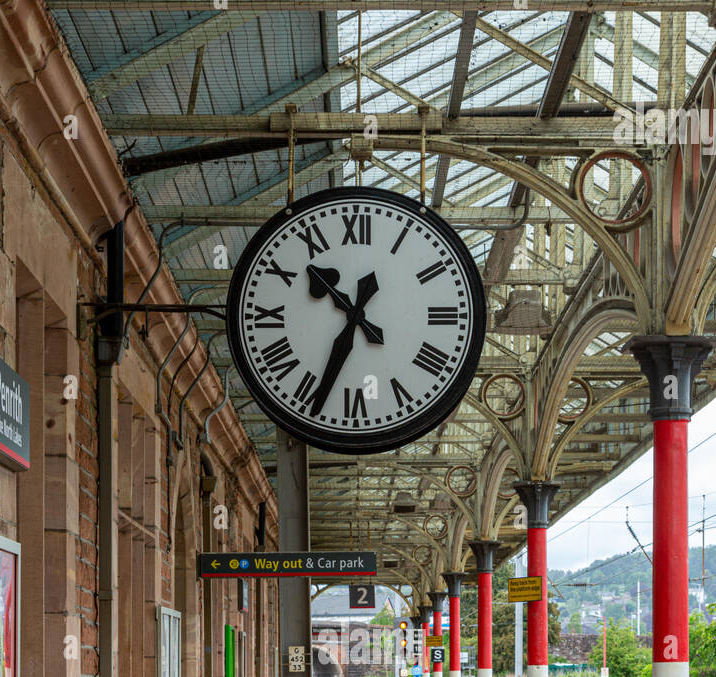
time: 10:34
